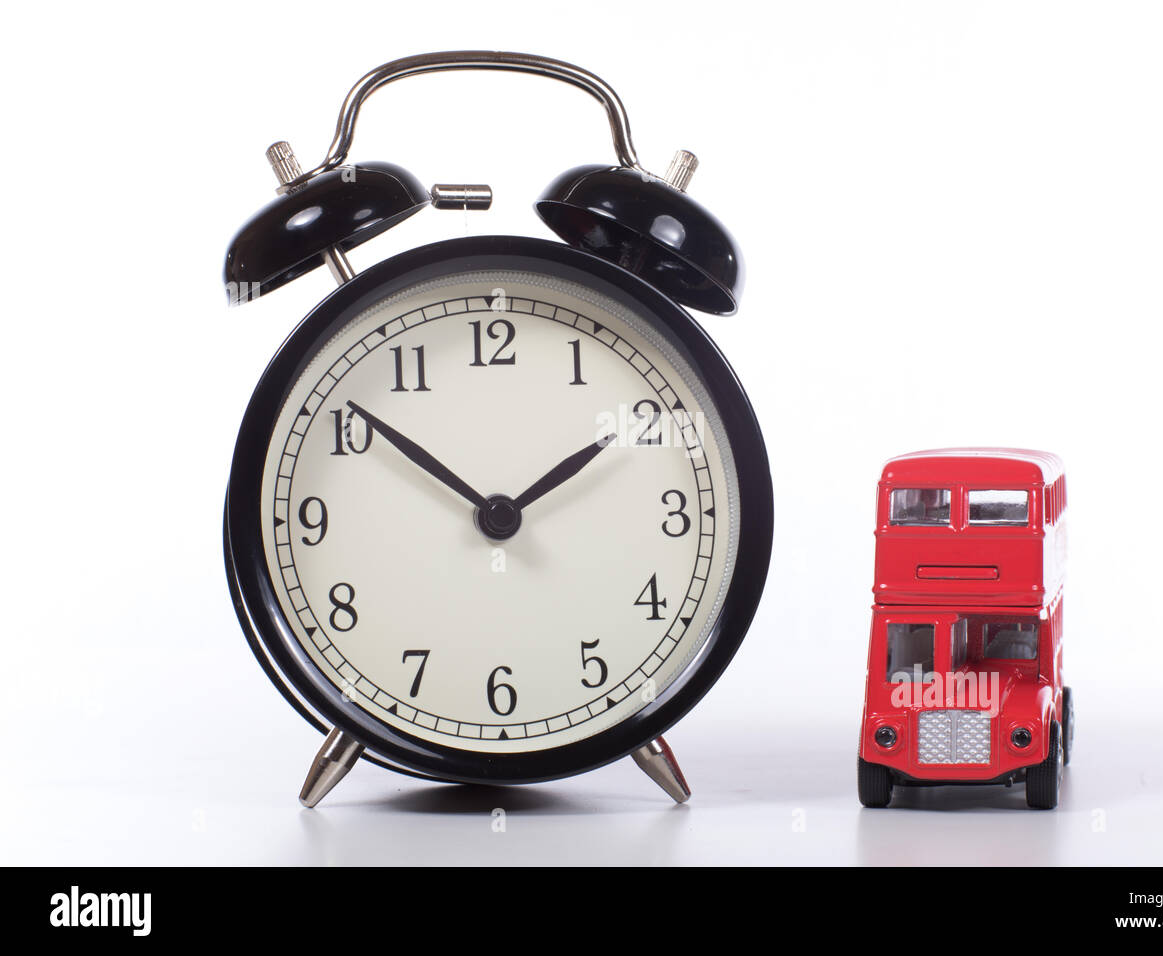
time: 1:51
